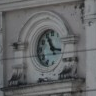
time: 2:55
